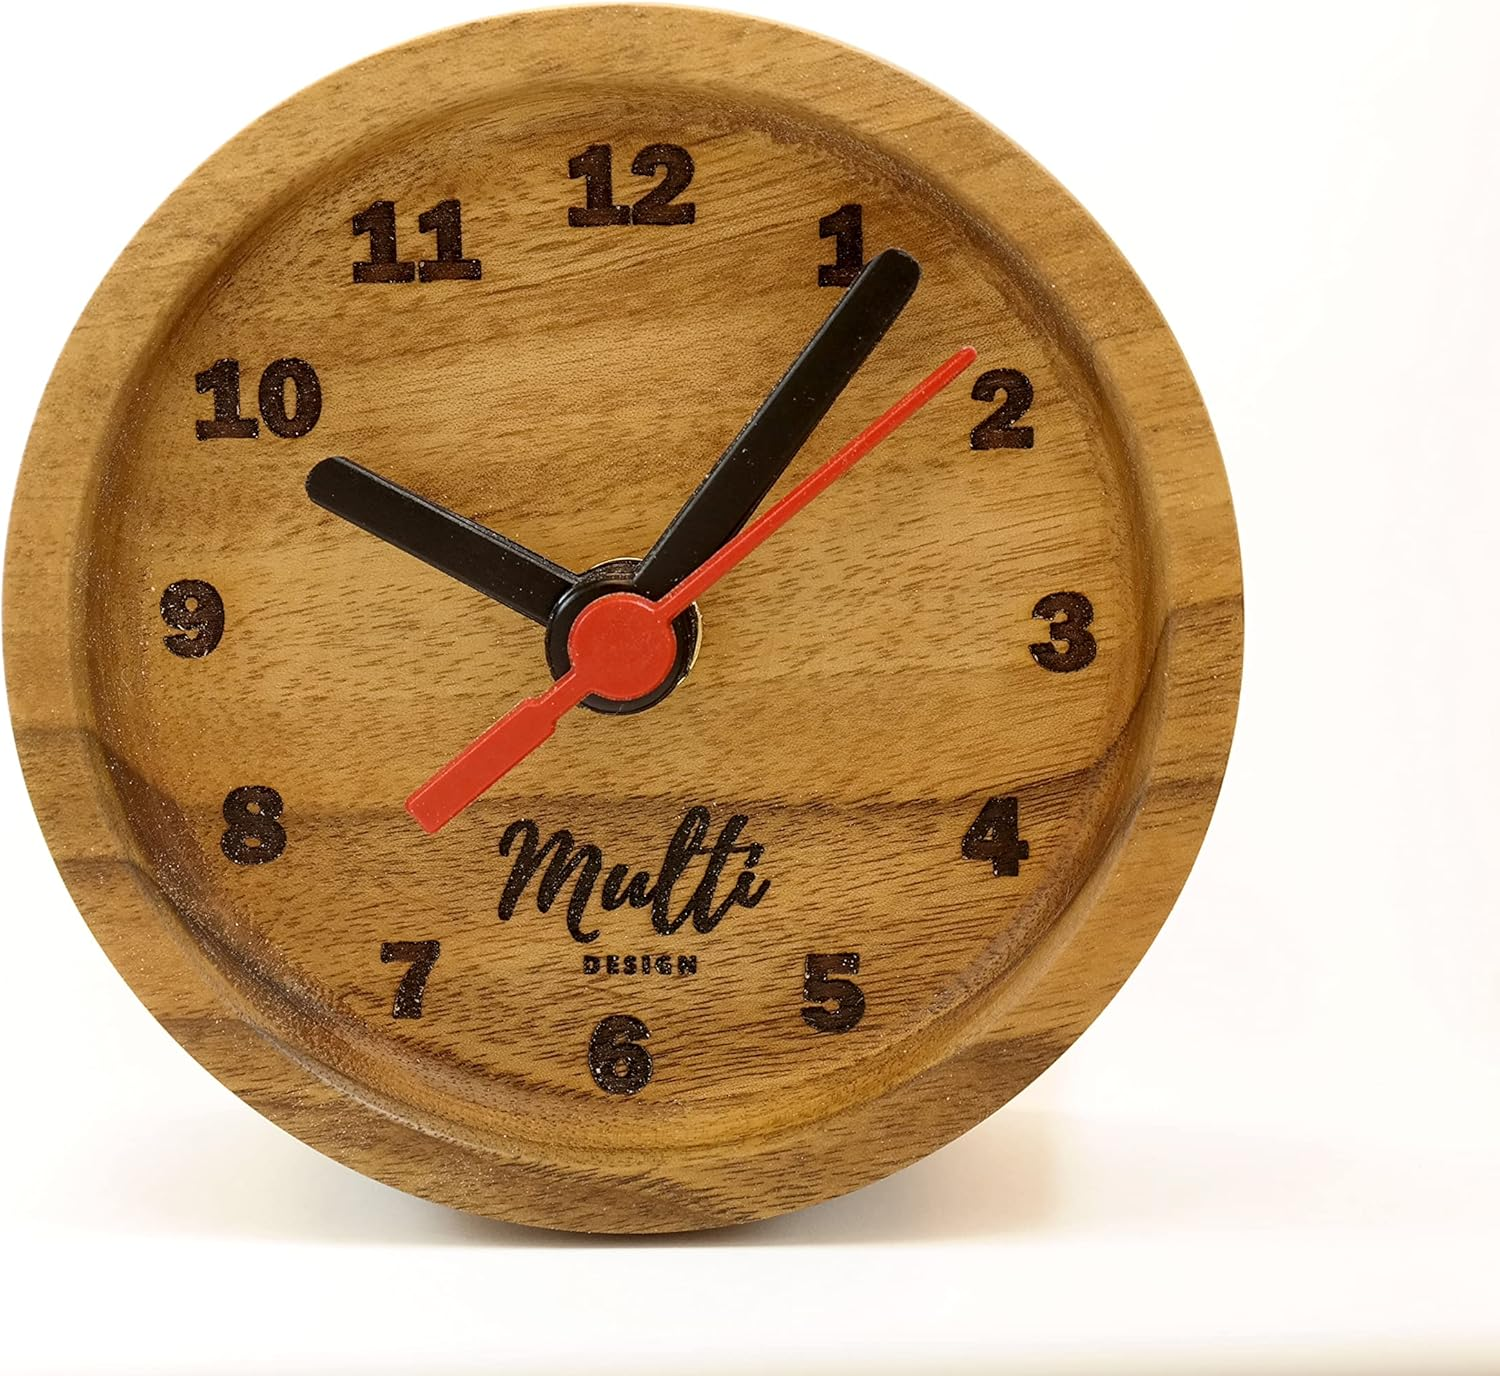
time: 10:06
